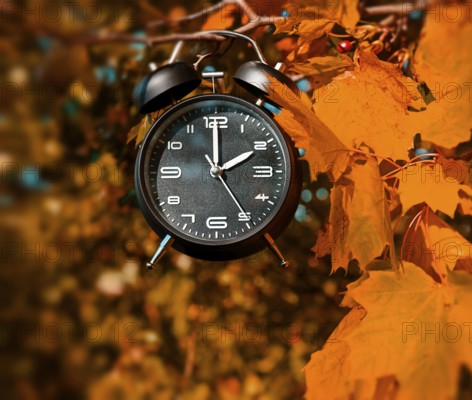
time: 2:00
